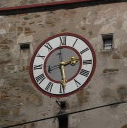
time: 2:29
